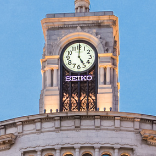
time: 5:00
